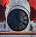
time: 11:19
